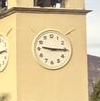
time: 9:15
